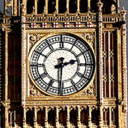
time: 2:30
